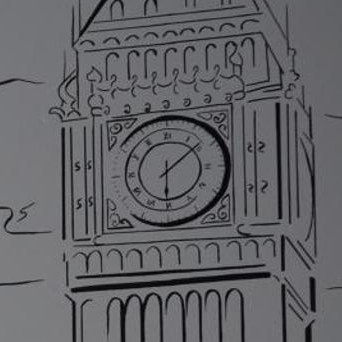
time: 6:08
